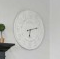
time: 6:12
